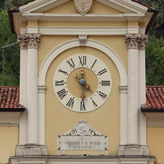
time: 4:29
